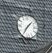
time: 1:36
